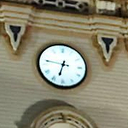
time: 6:46
